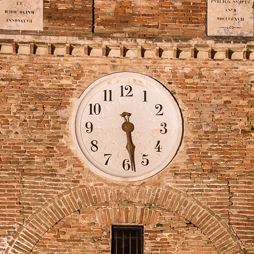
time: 5:28
